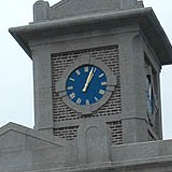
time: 1:03
